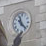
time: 11:22
